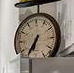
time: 6:36
